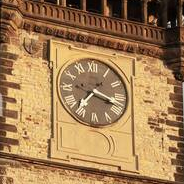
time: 7:17
